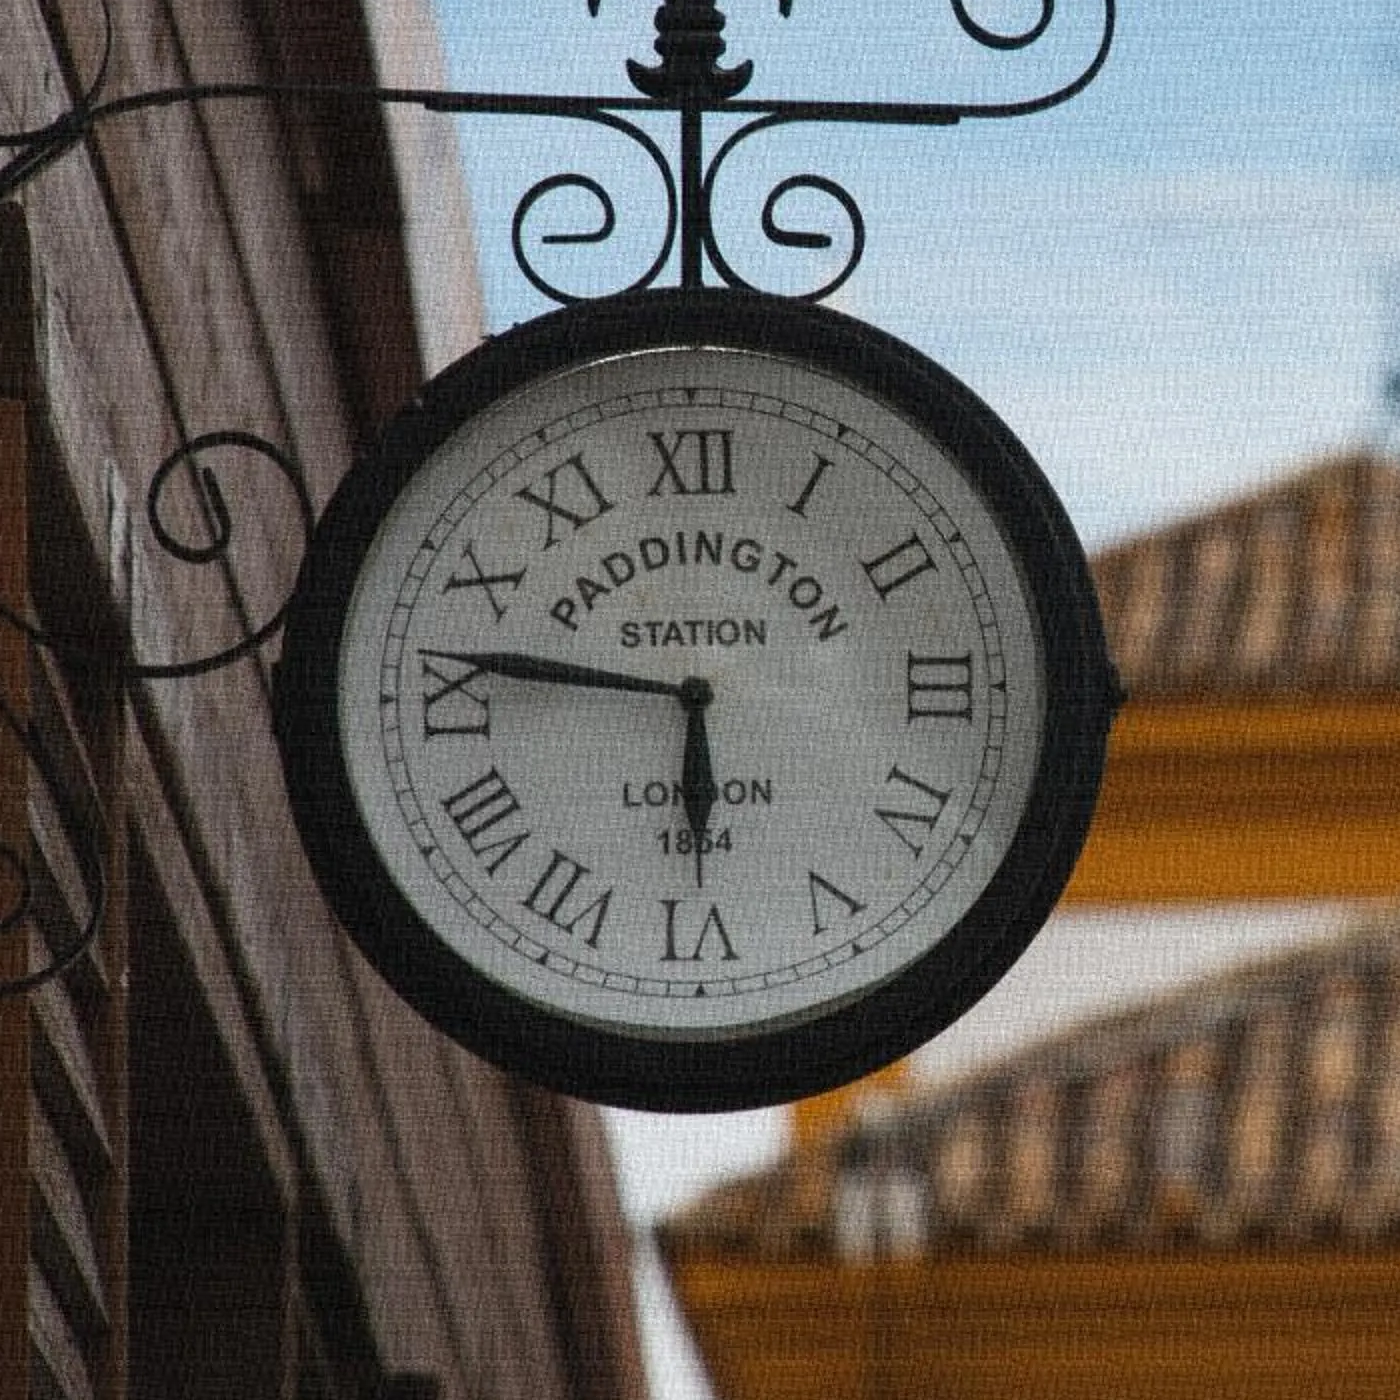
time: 5:46
